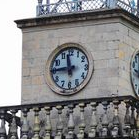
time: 11:45
